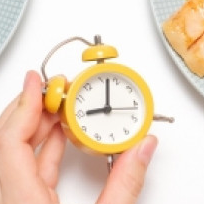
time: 9:01
